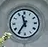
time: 11:35
